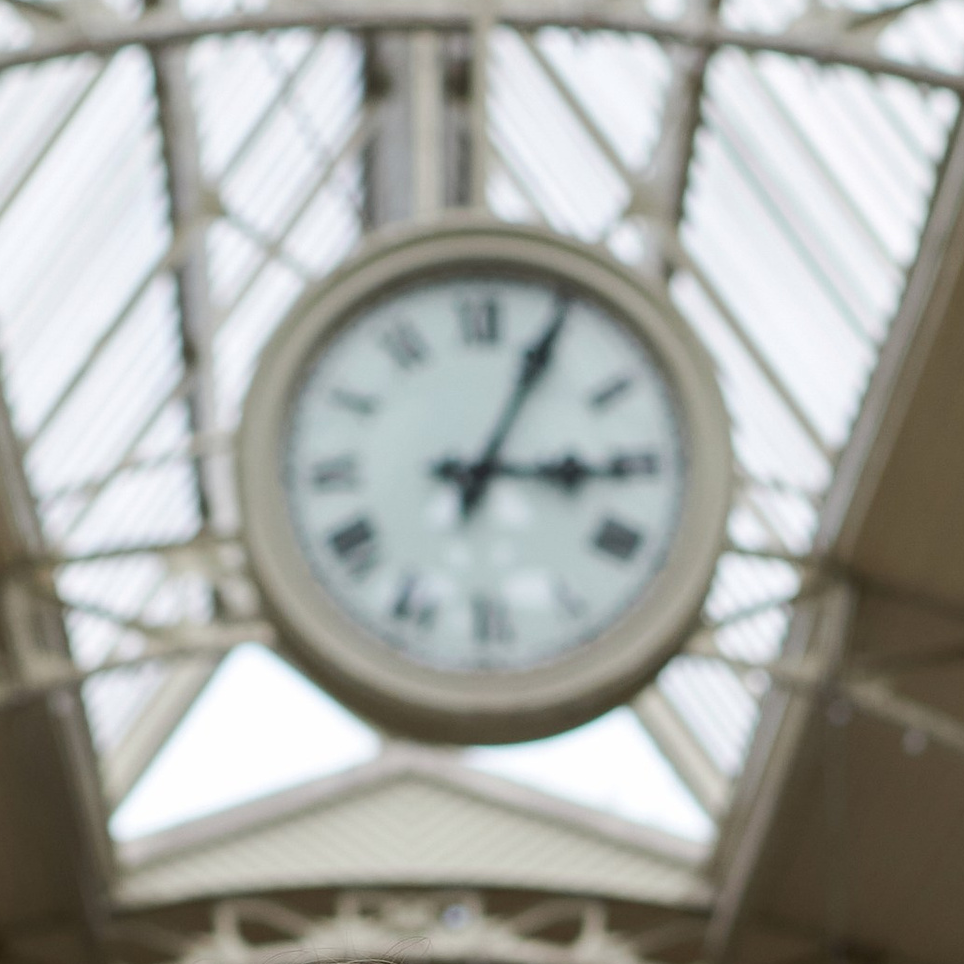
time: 3:04
